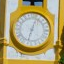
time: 12:32
